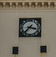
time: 3:37
